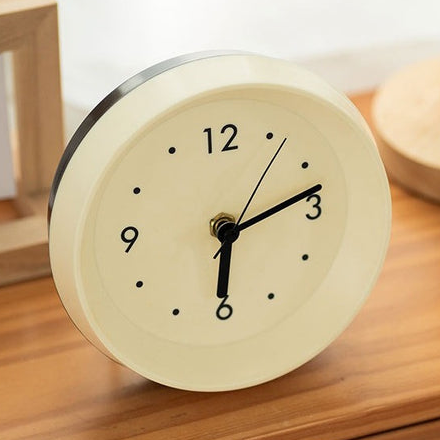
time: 6:12
